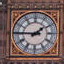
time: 1:45
